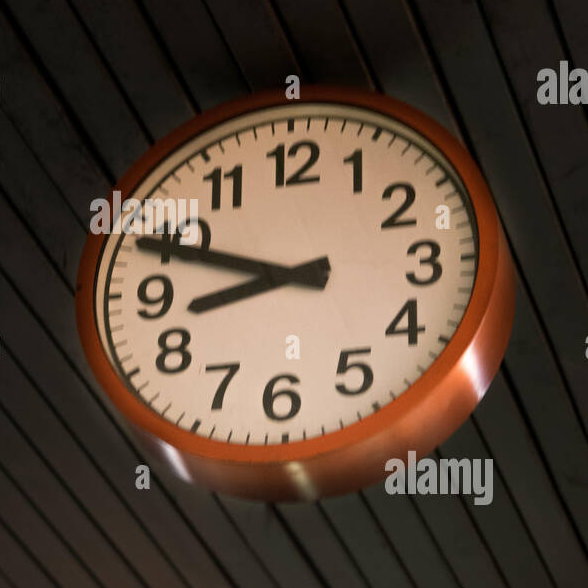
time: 8:48
